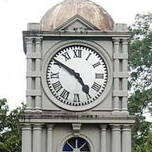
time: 4:50
